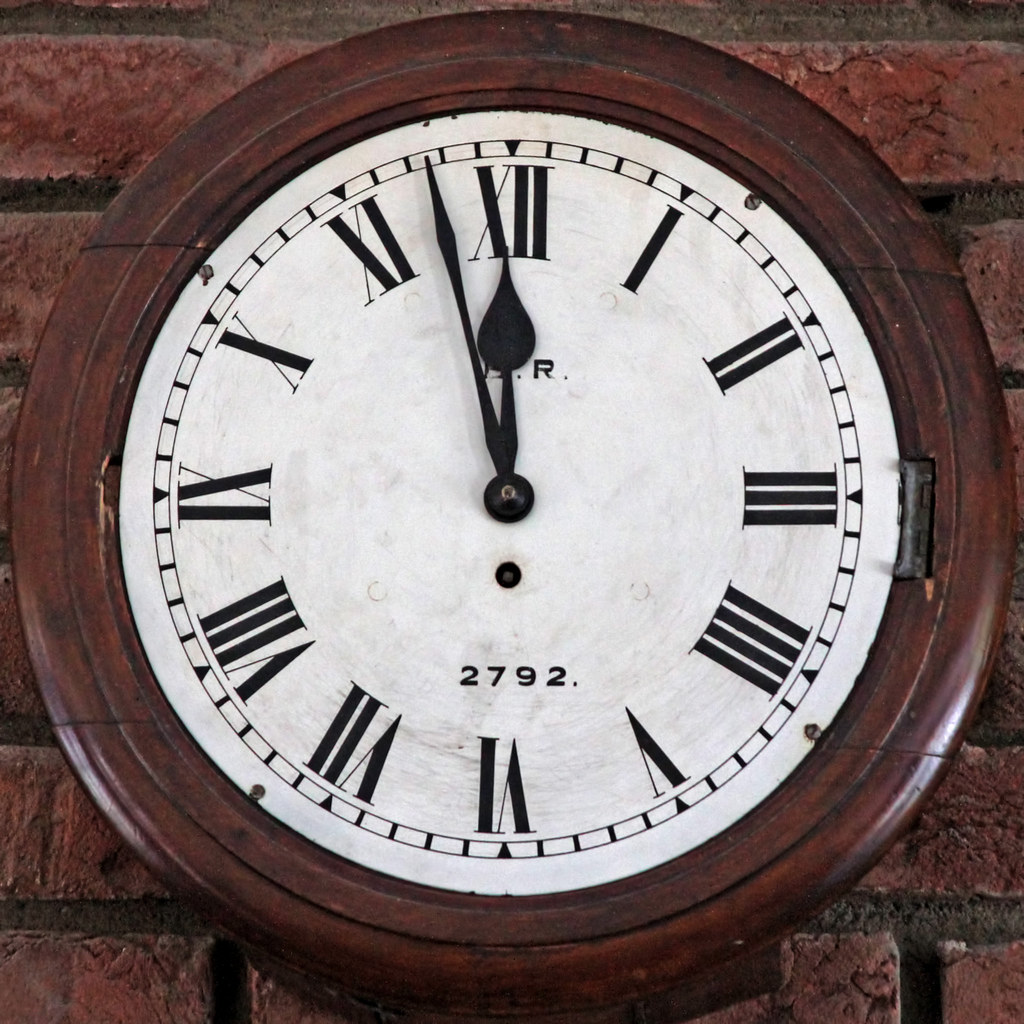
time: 11:57
